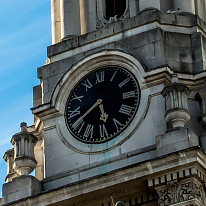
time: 5:40
